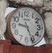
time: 9:26
